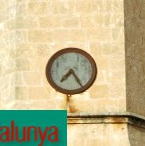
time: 7:24
